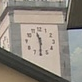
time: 11:30
